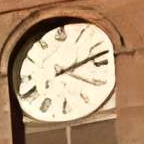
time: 4:12
